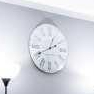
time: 12:40
